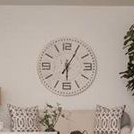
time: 6:05
